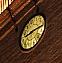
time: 8:12
